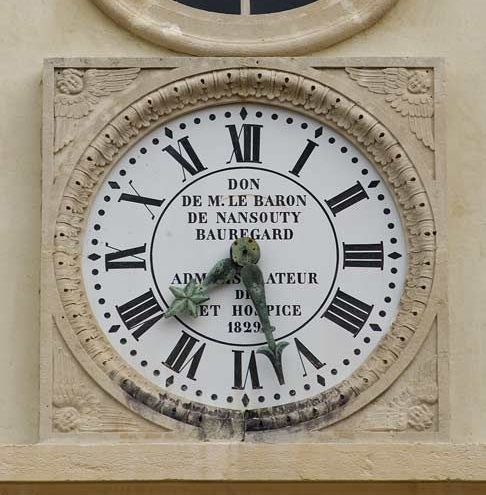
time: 7:27
